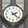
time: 2:21
